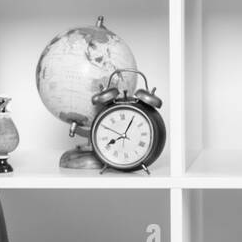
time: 8:05
